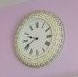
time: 9:40
